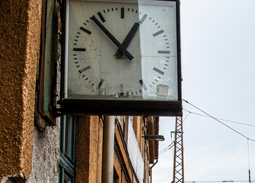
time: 12:53
